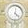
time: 12:22
